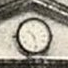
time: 10:28
